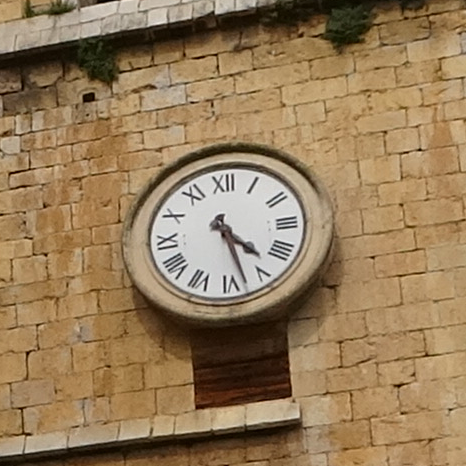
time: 4:27
